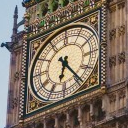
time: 6:24
